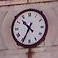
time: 10:34
